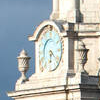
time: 6:21
